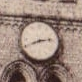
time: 8:12
